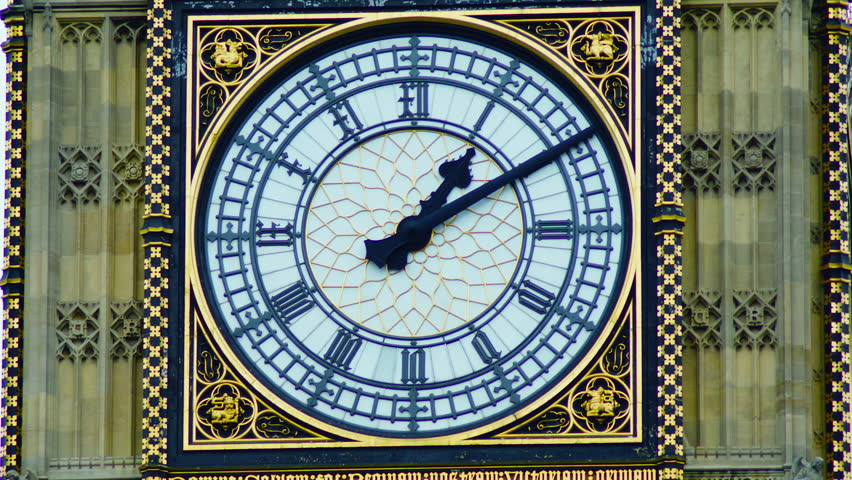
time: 1:09
